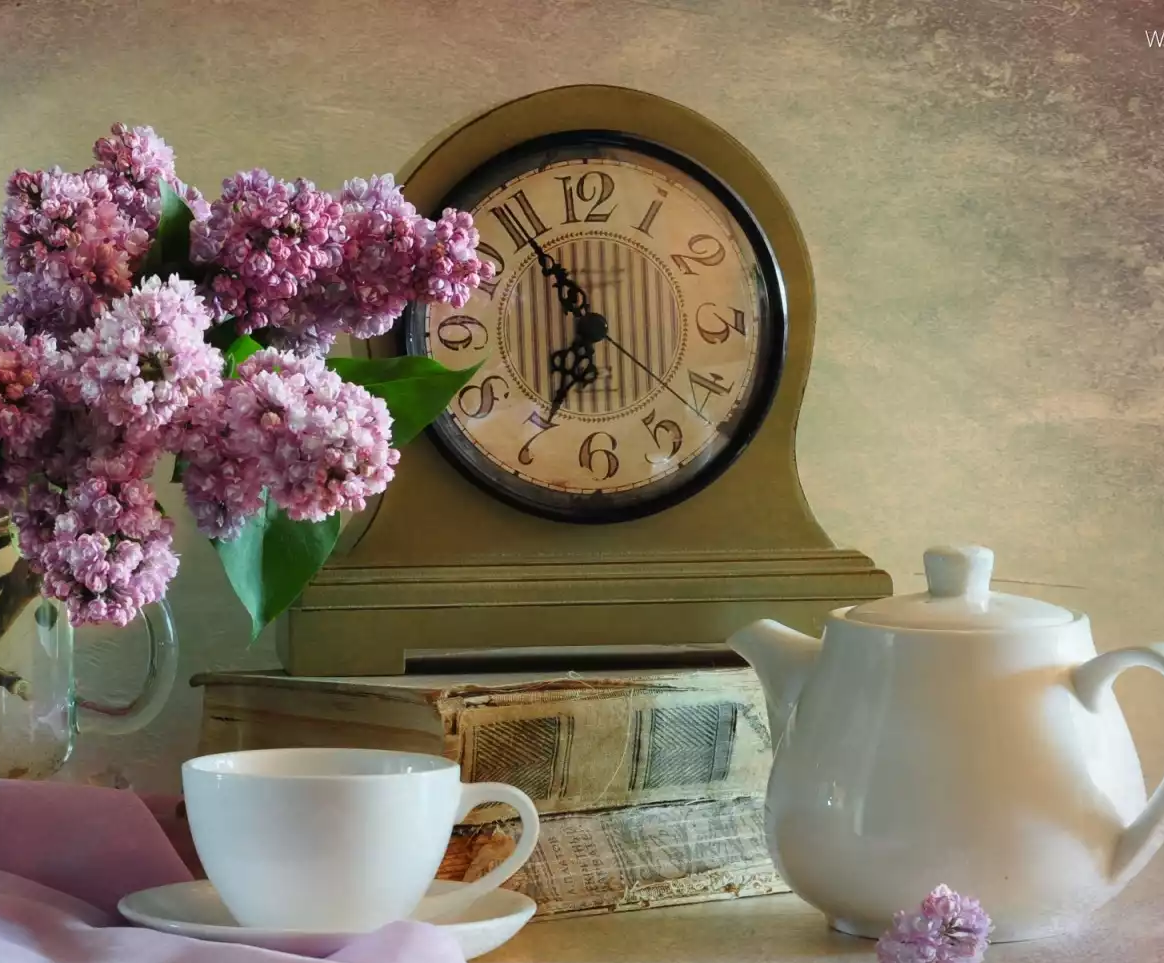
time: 6:54
